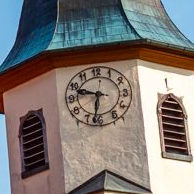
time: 9:32
